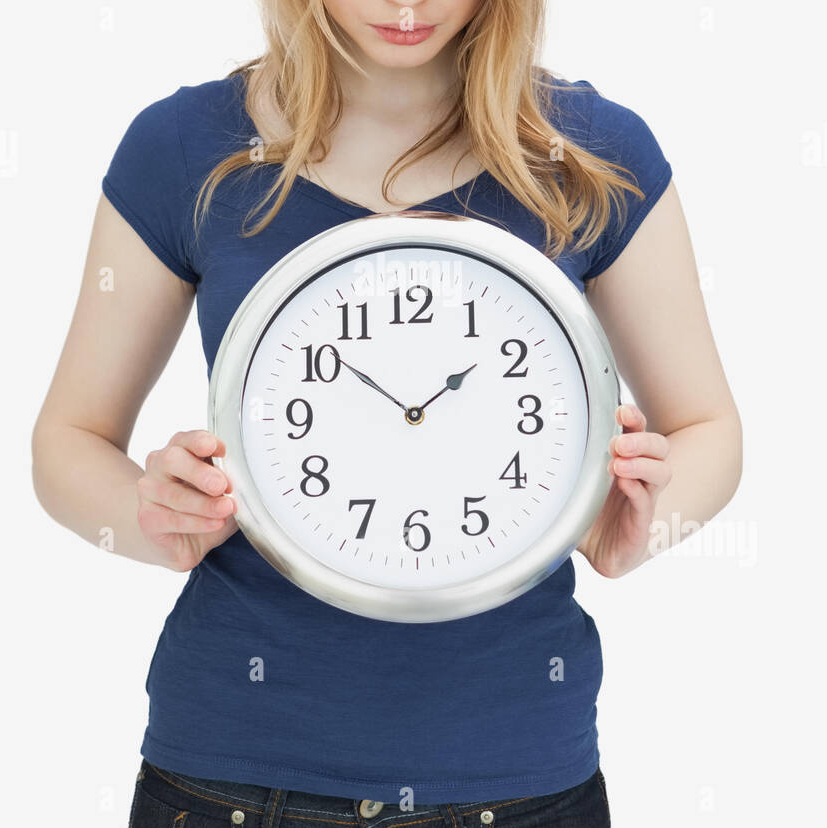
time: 1:51
